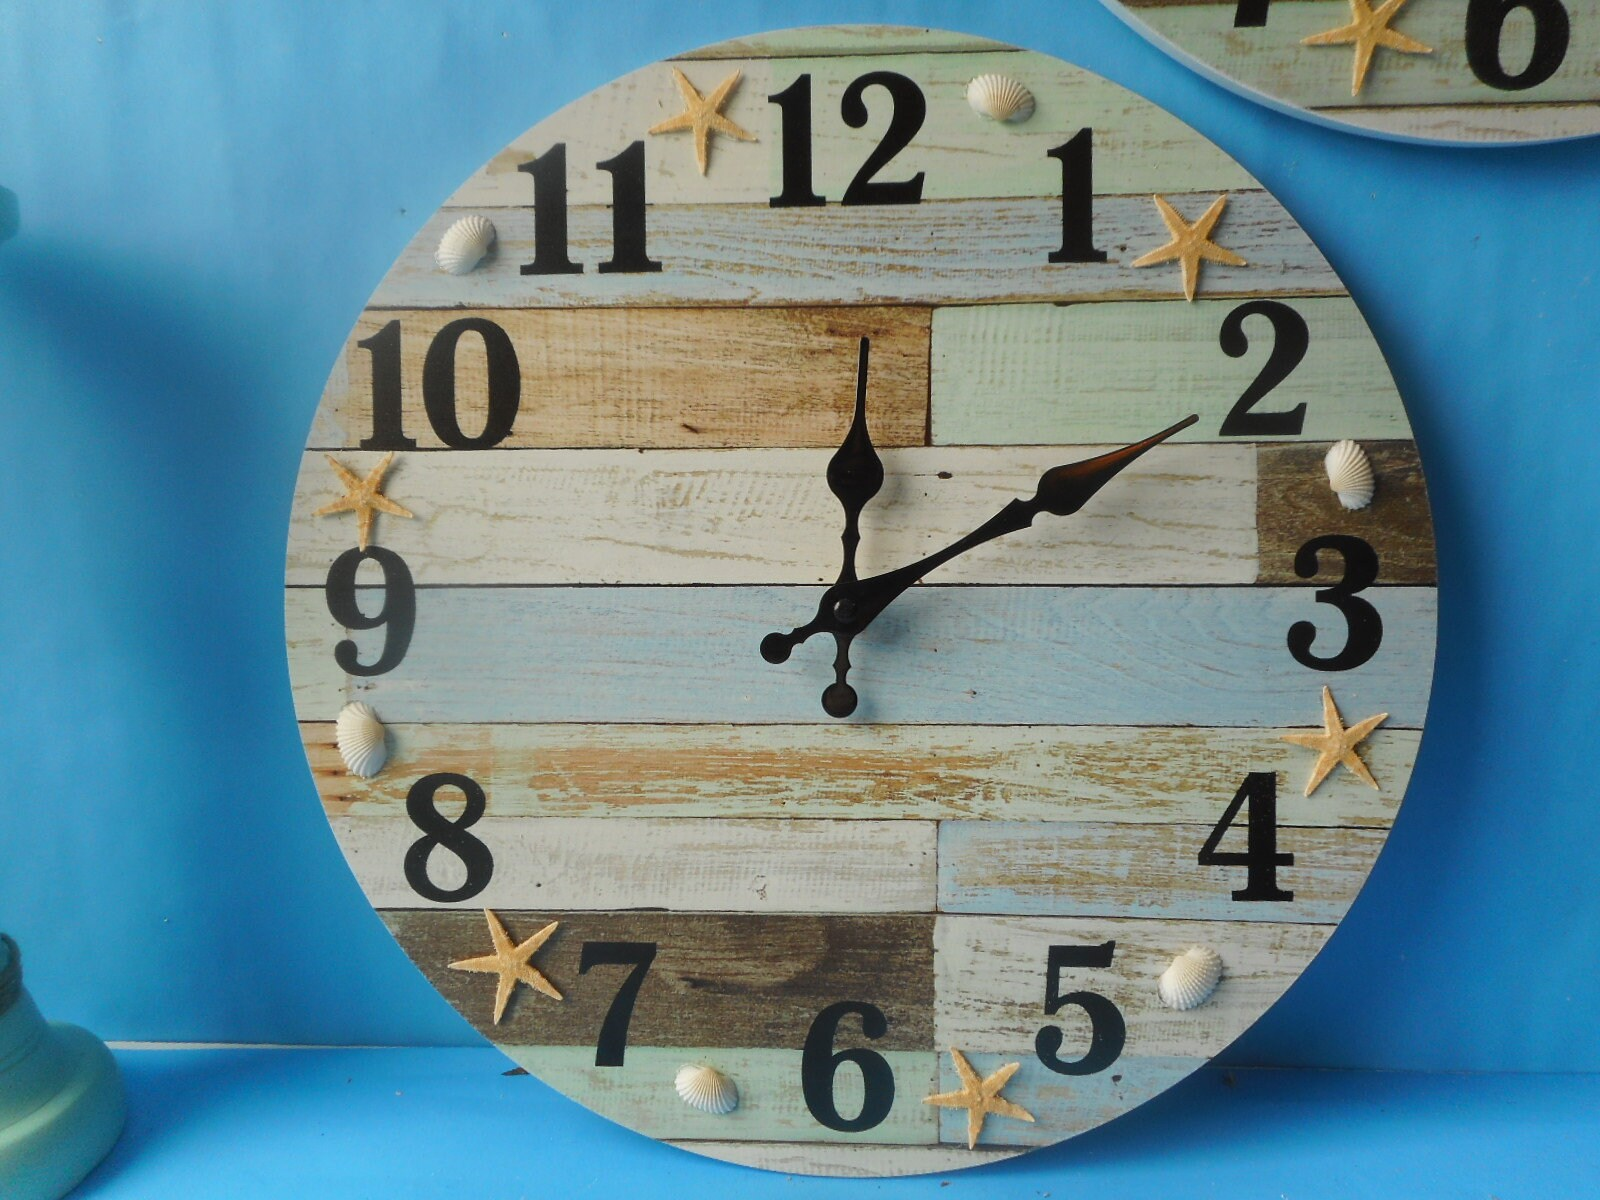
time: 12:10
